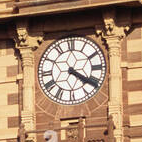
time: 4:20
